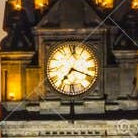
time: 7:18
